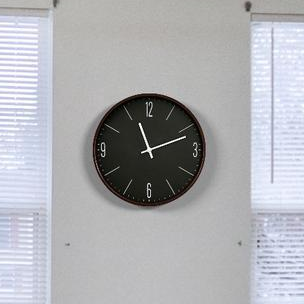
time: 11:11
